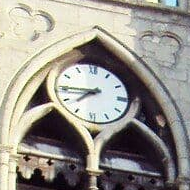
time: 7:44
